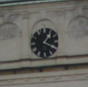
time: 1:19
